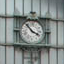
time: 3:52
